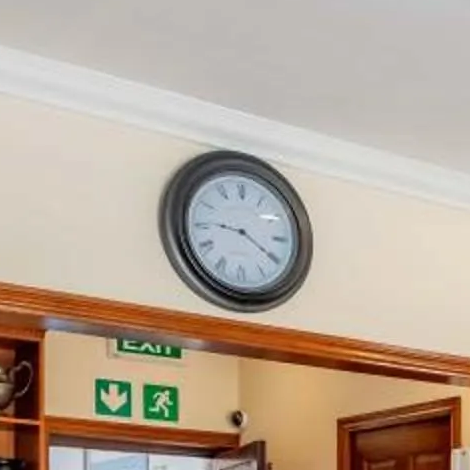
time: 9:20
